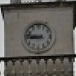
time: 8:47
